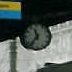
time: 11:36
